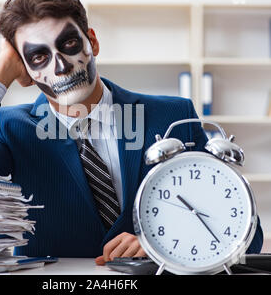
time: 10:23
